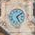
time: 5:08
